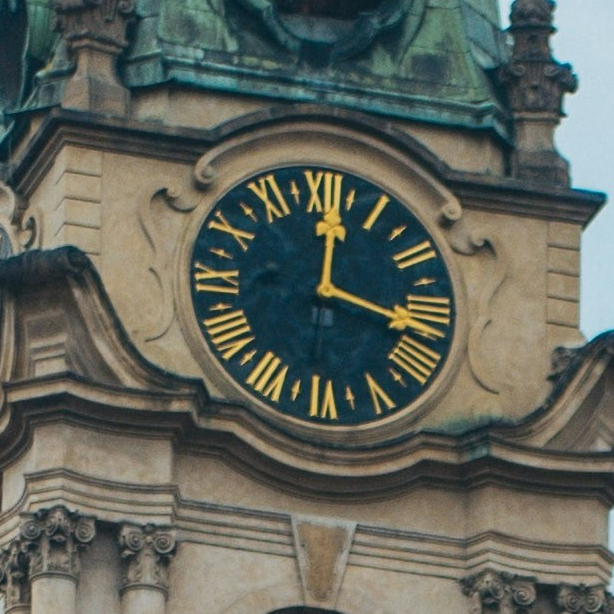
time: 12:16
